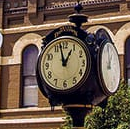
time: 12:57
